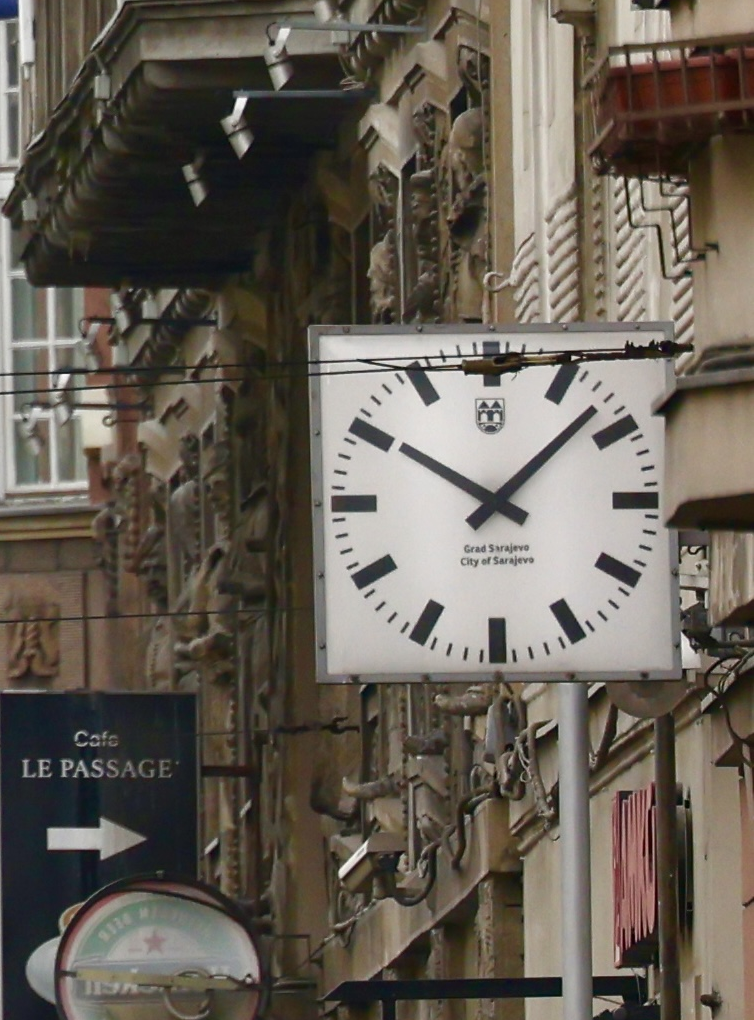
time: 10:07
